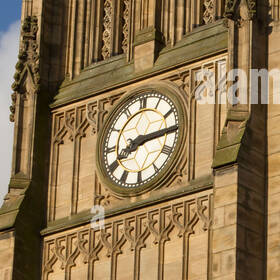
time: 8:14
